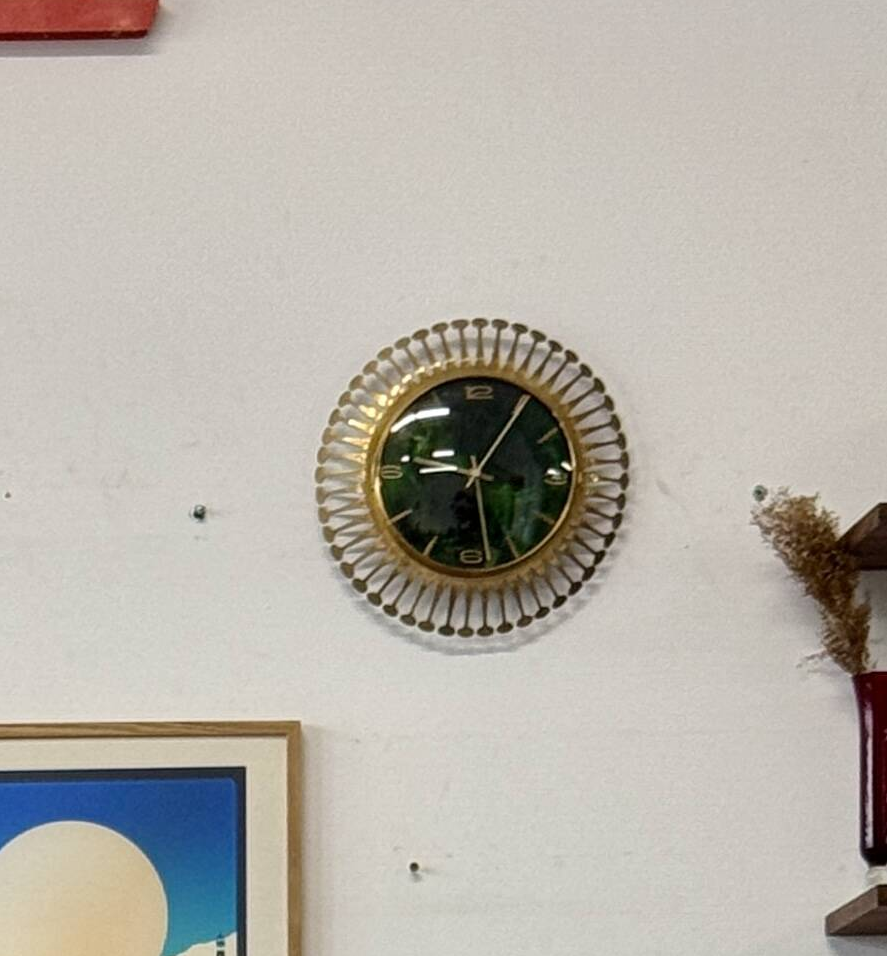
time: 9:05
